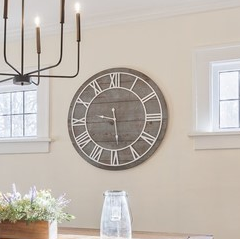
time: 9:28
